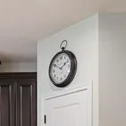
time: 1:50
